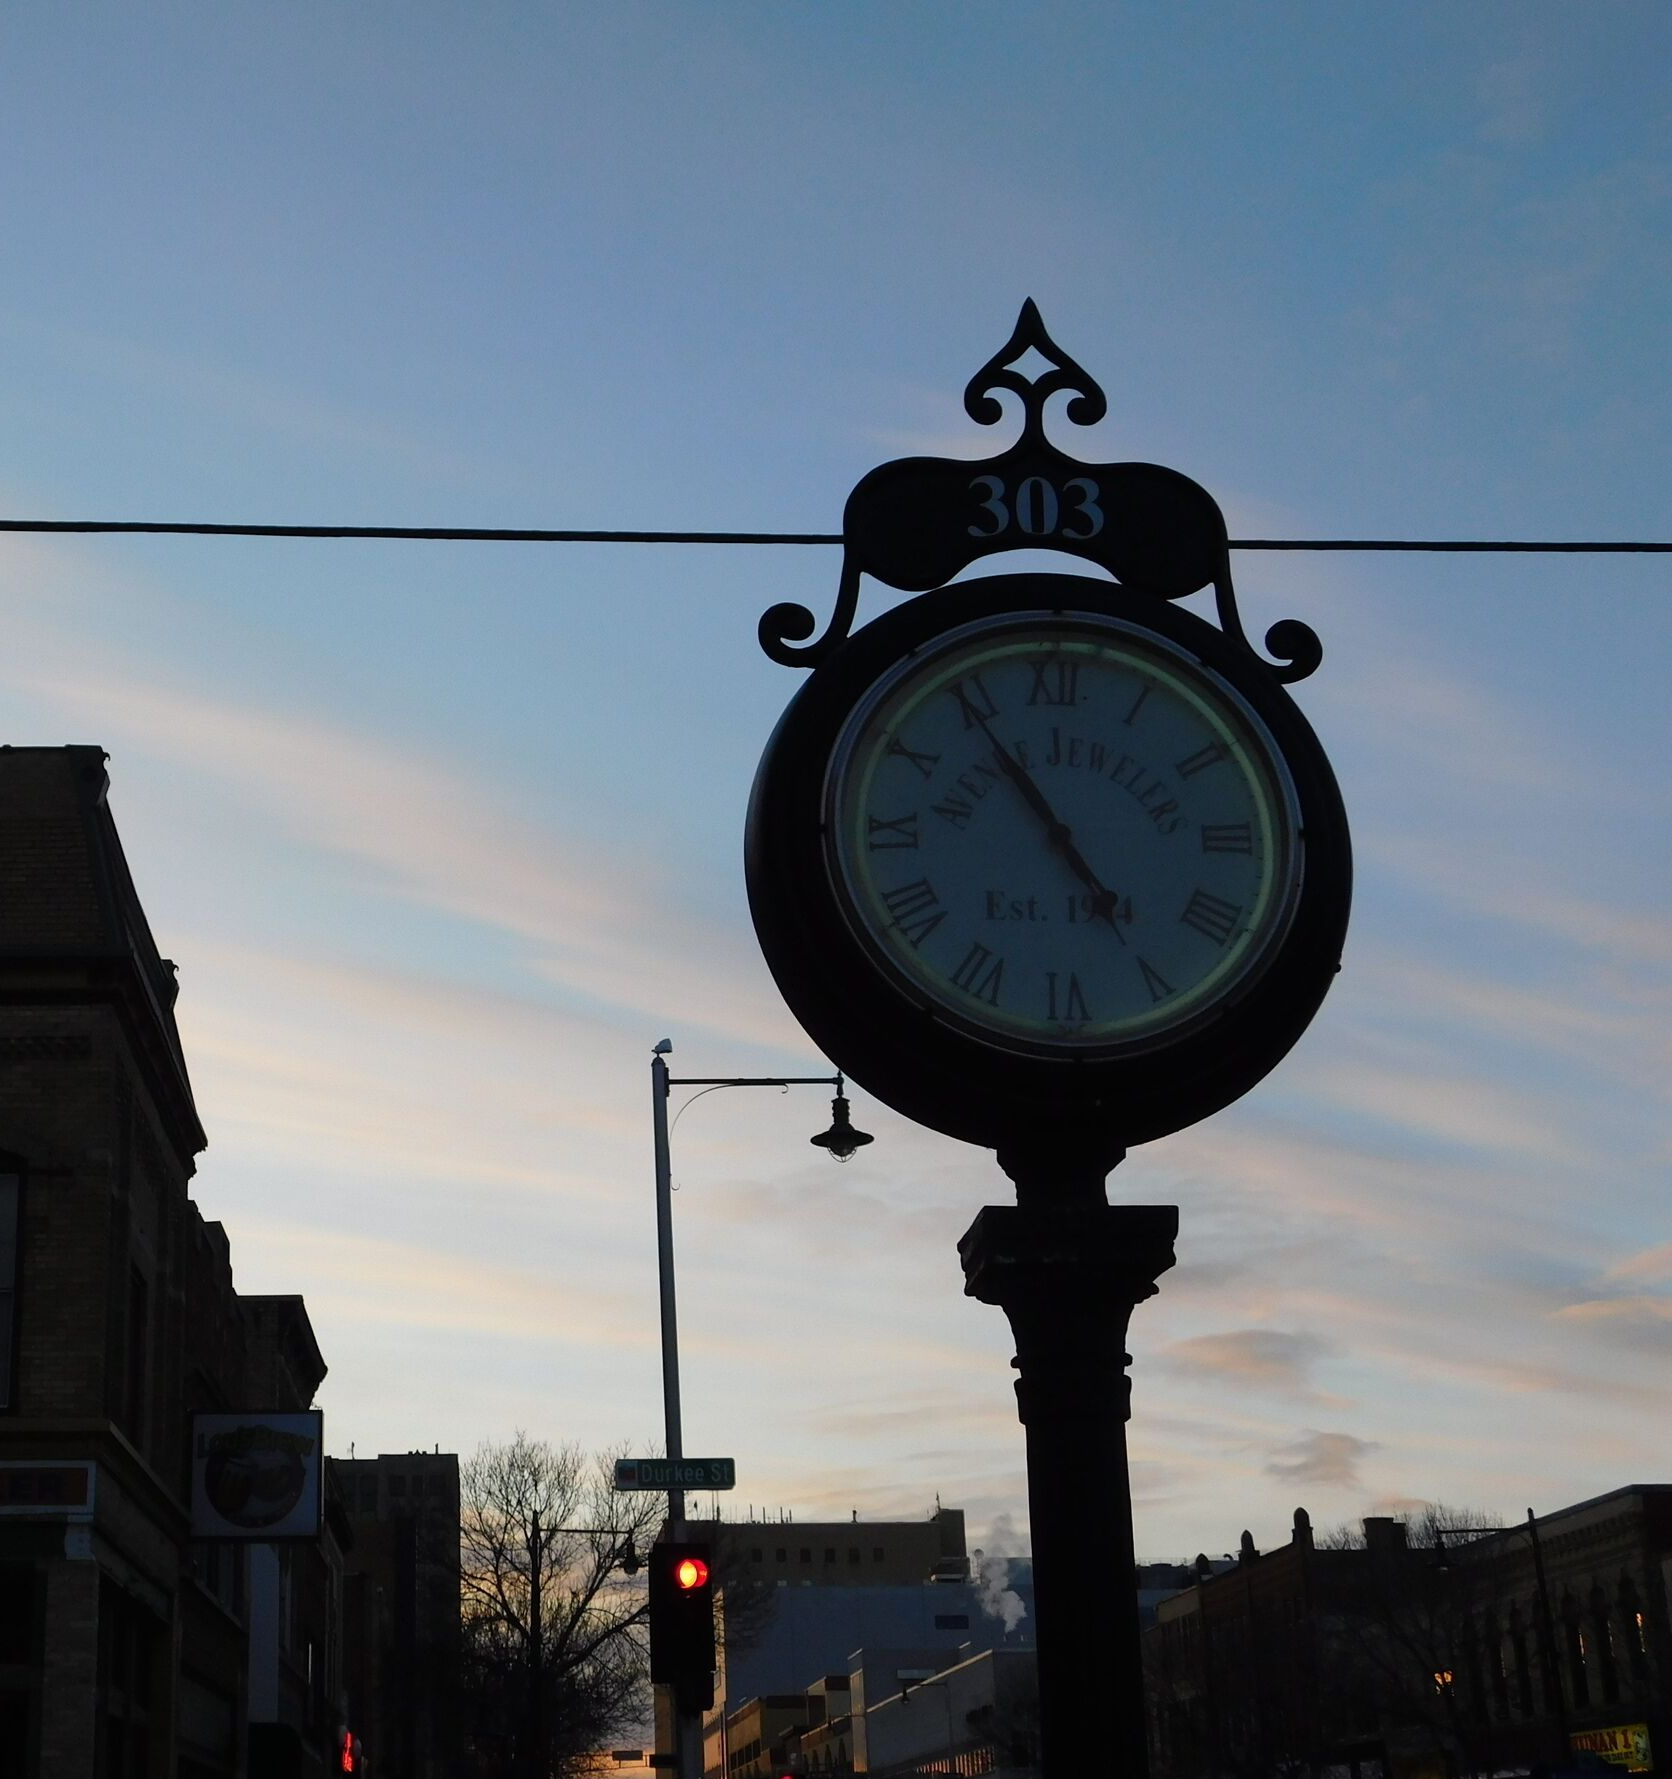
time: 4:54
